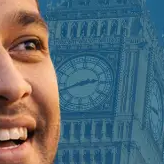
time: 2:42
